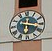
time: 6:17
